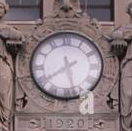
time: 5:39
